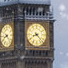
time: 8:22
